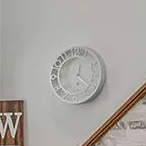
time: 12:21
